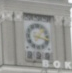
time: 7:17
